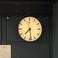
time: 7:28
